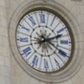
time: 2:19
